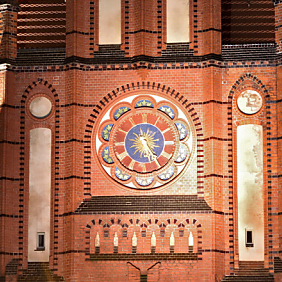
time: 5:24
